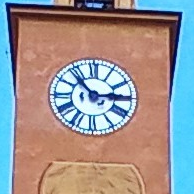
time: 2:53
